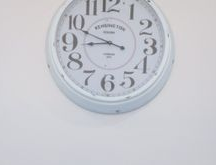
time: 8:48
